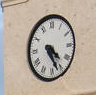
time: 4:26
